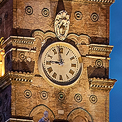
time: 8:58
